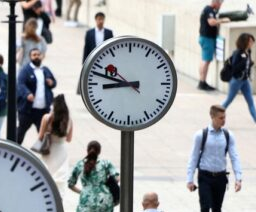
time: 8:47
